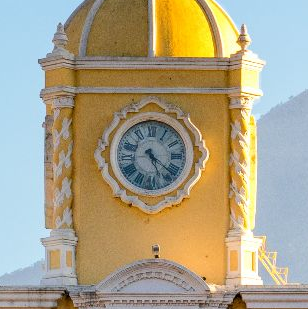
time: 5:22
